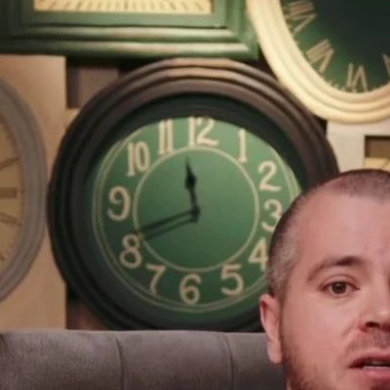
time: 11:41
